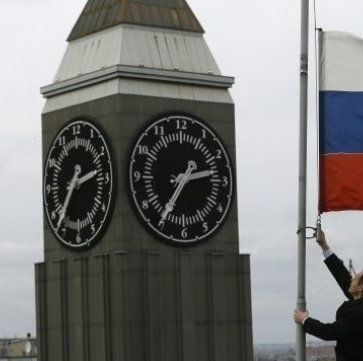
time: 2:35
